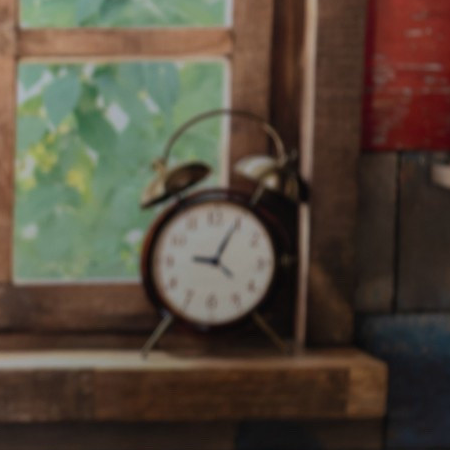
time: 9:04
